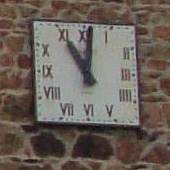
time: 11:01
